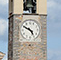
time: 4:50
